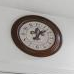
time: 12:07
